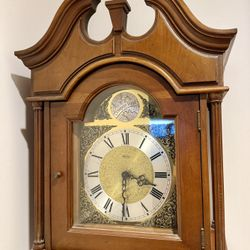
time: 3:30
